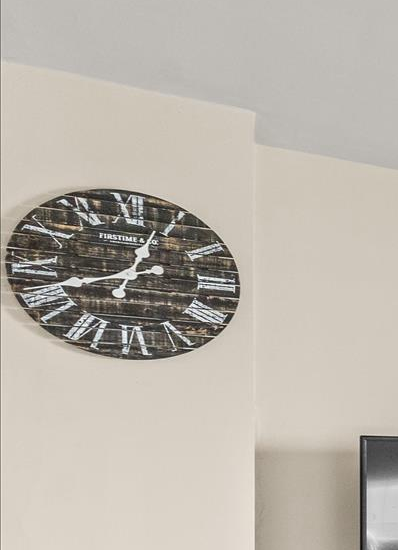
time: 12:42
